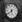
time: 5:38
